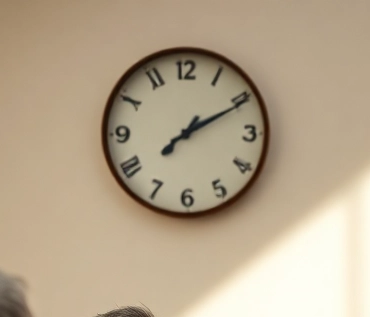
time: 1:10
